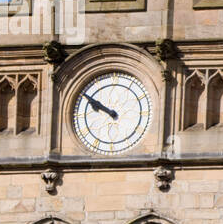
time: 9:50
